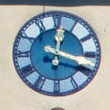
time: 12:18
